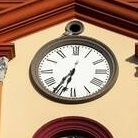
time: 6:36
